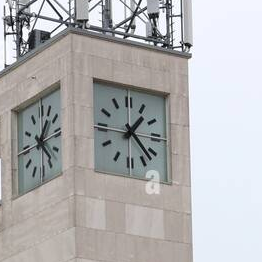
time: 1:22
